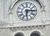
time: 6:14
